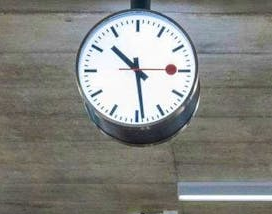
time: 10:28
